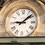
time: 9:08
